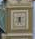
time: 5:33
